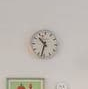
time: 10:32
